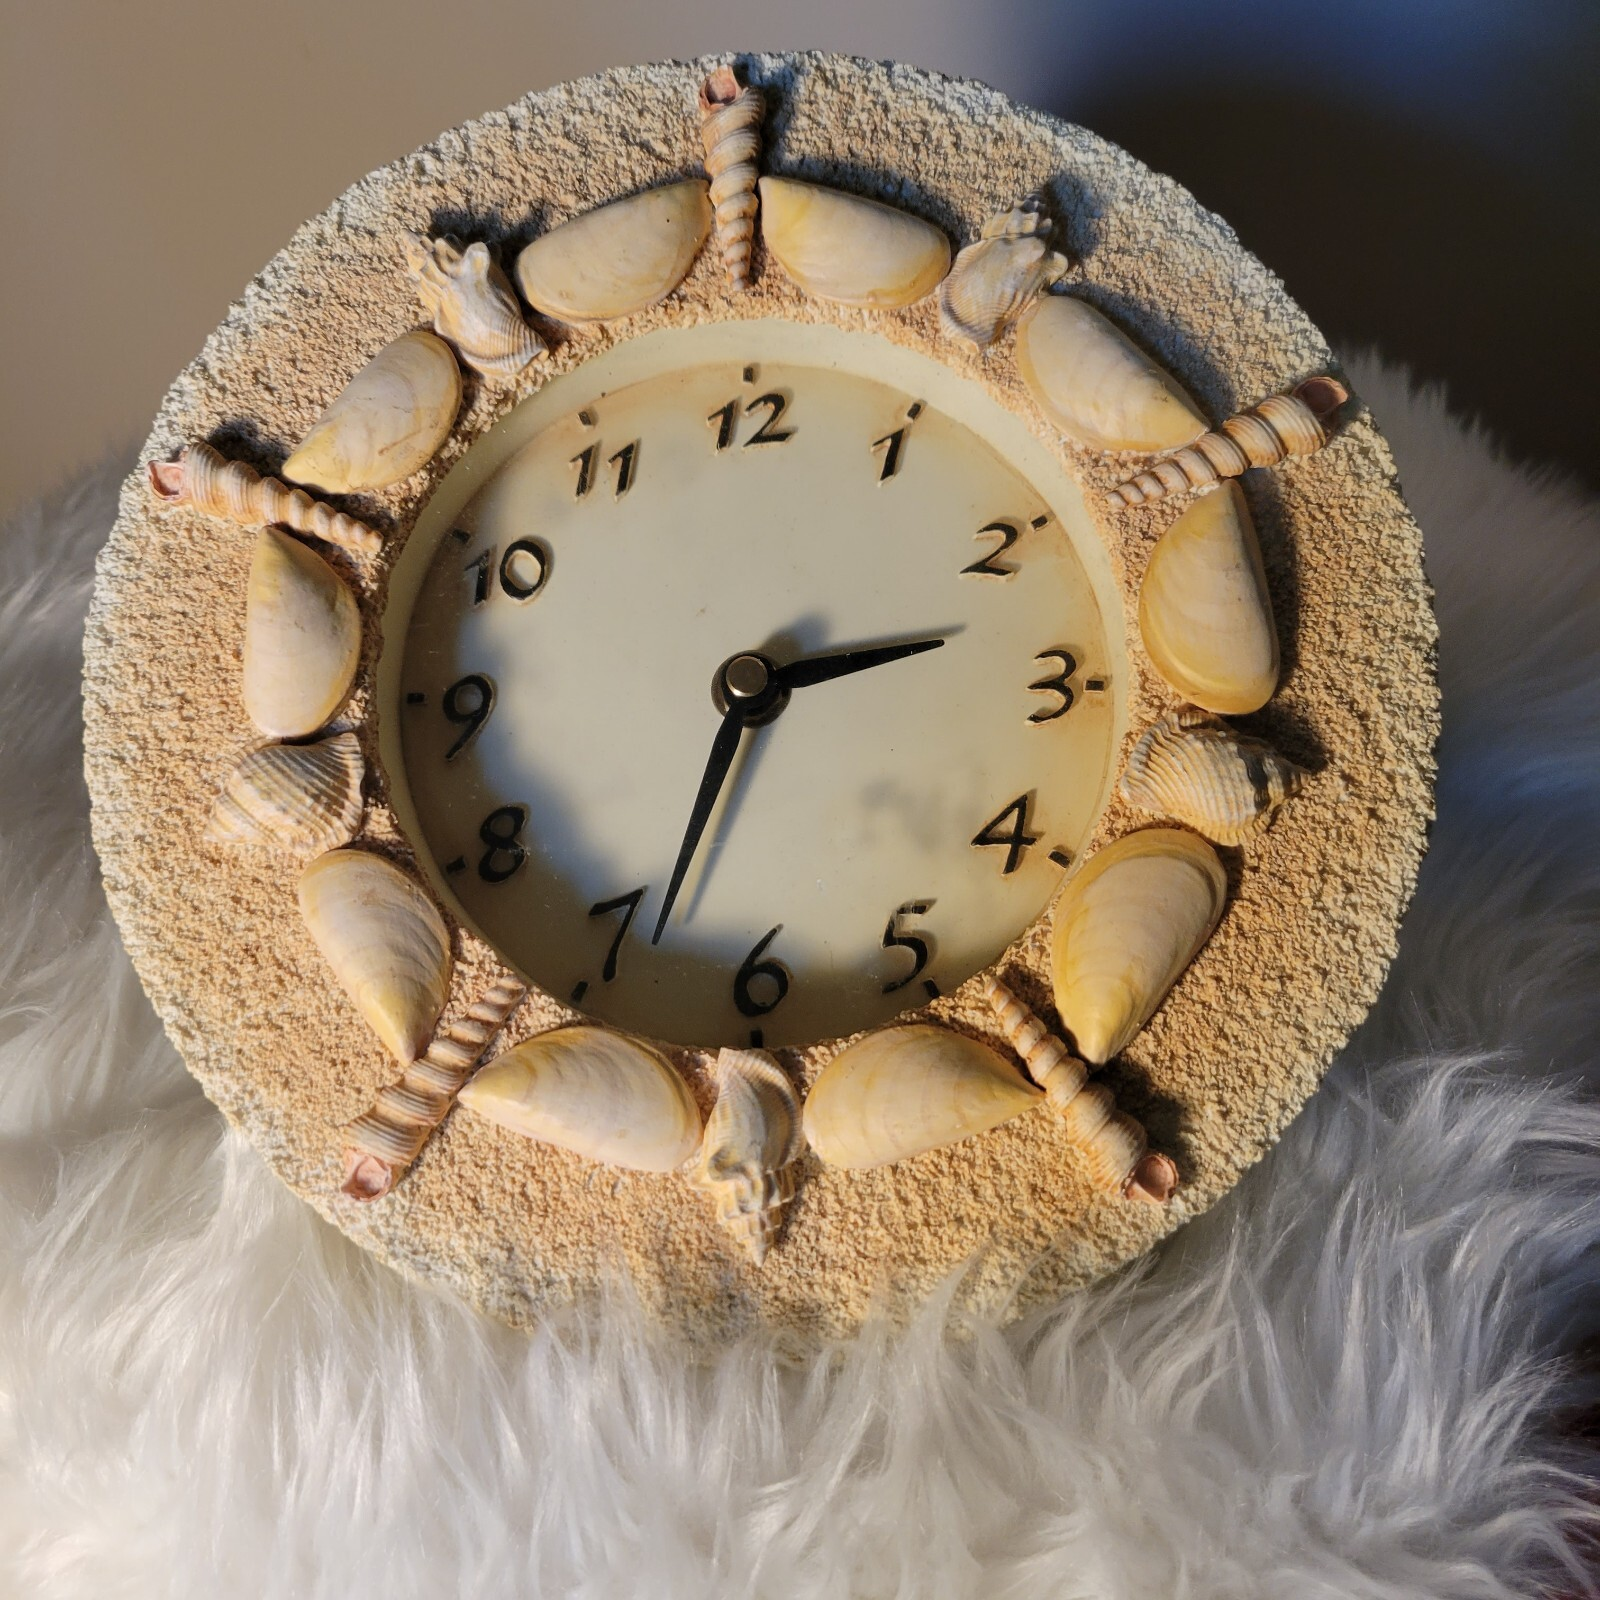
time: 2:33
